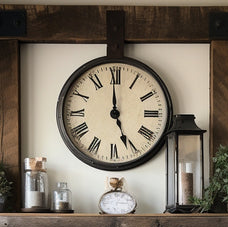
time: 4:59
